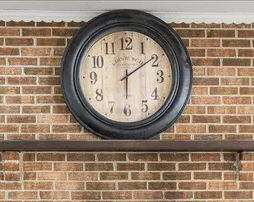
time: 6:09
